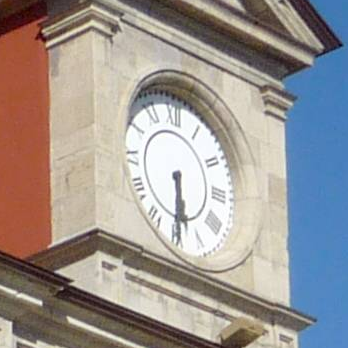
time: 5:29
